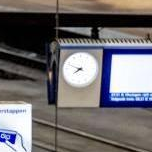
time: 7:48
